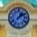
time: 1:09
